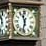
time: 11:32
